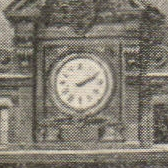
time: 2:09
